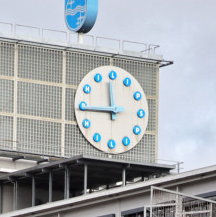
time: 11:44
